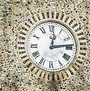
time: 12:13
